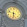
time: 9:28
